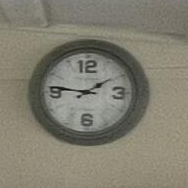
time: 1:46
